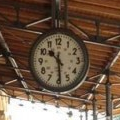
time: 10:29
